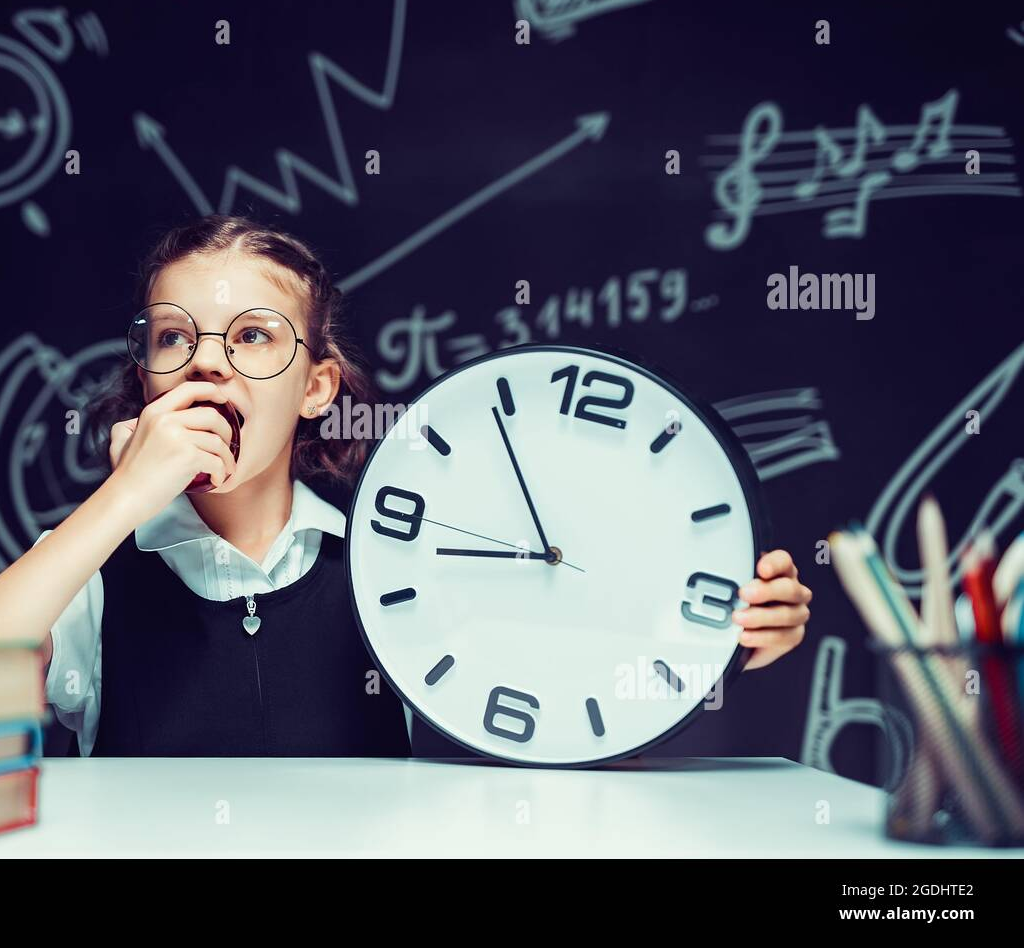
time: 8:54
